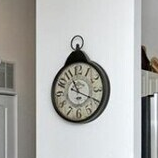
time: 11:19
